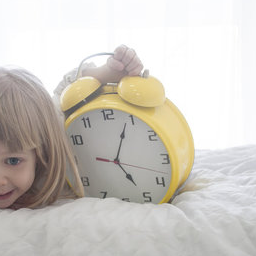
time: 5:04
